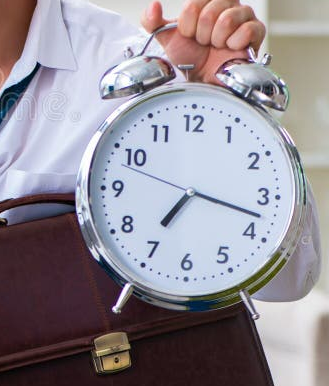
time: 7:17
